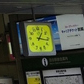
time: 1:16
